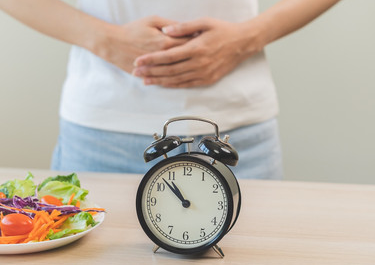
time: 10:52
